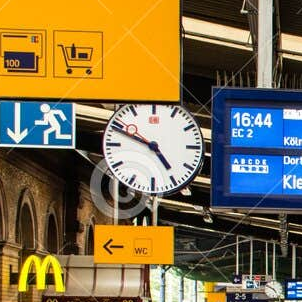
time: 4:48
